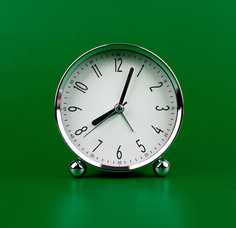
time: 8:03
